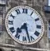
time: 7:27
